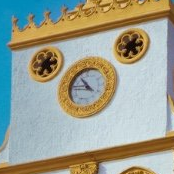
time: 10:45
